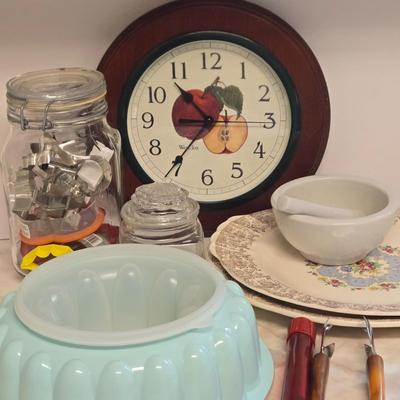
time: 8:53
